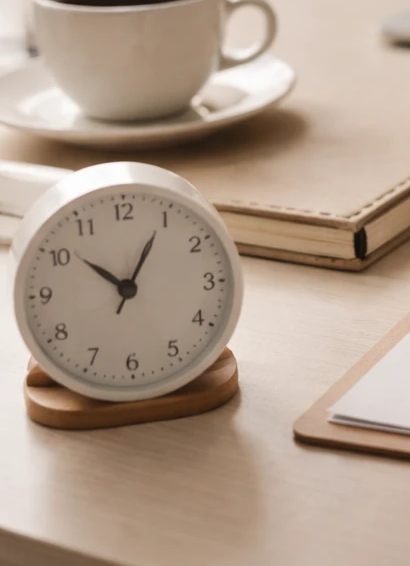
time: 10:04
